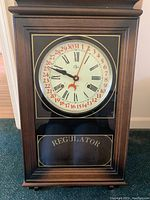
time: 9:48
